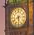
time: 5:41
